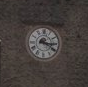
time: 3:20
